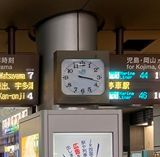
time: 3:17
